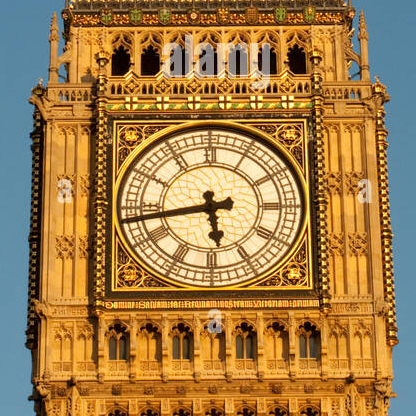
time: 5:43
